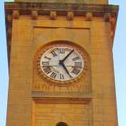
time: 5:05
